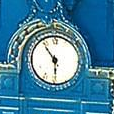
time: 5:54
